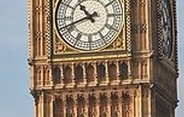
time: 10:41
